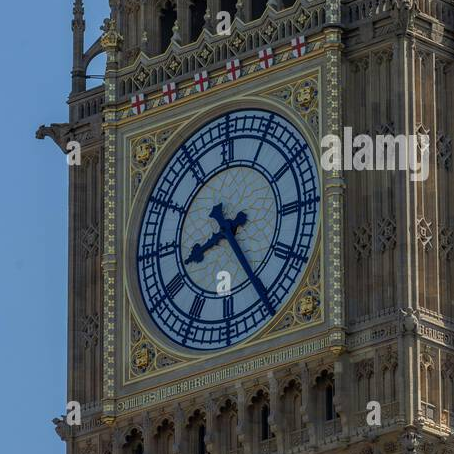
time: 8:24
